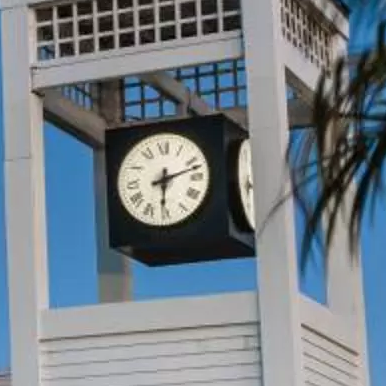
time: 6:12
